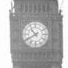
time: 10:39
